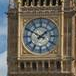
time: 1:50
